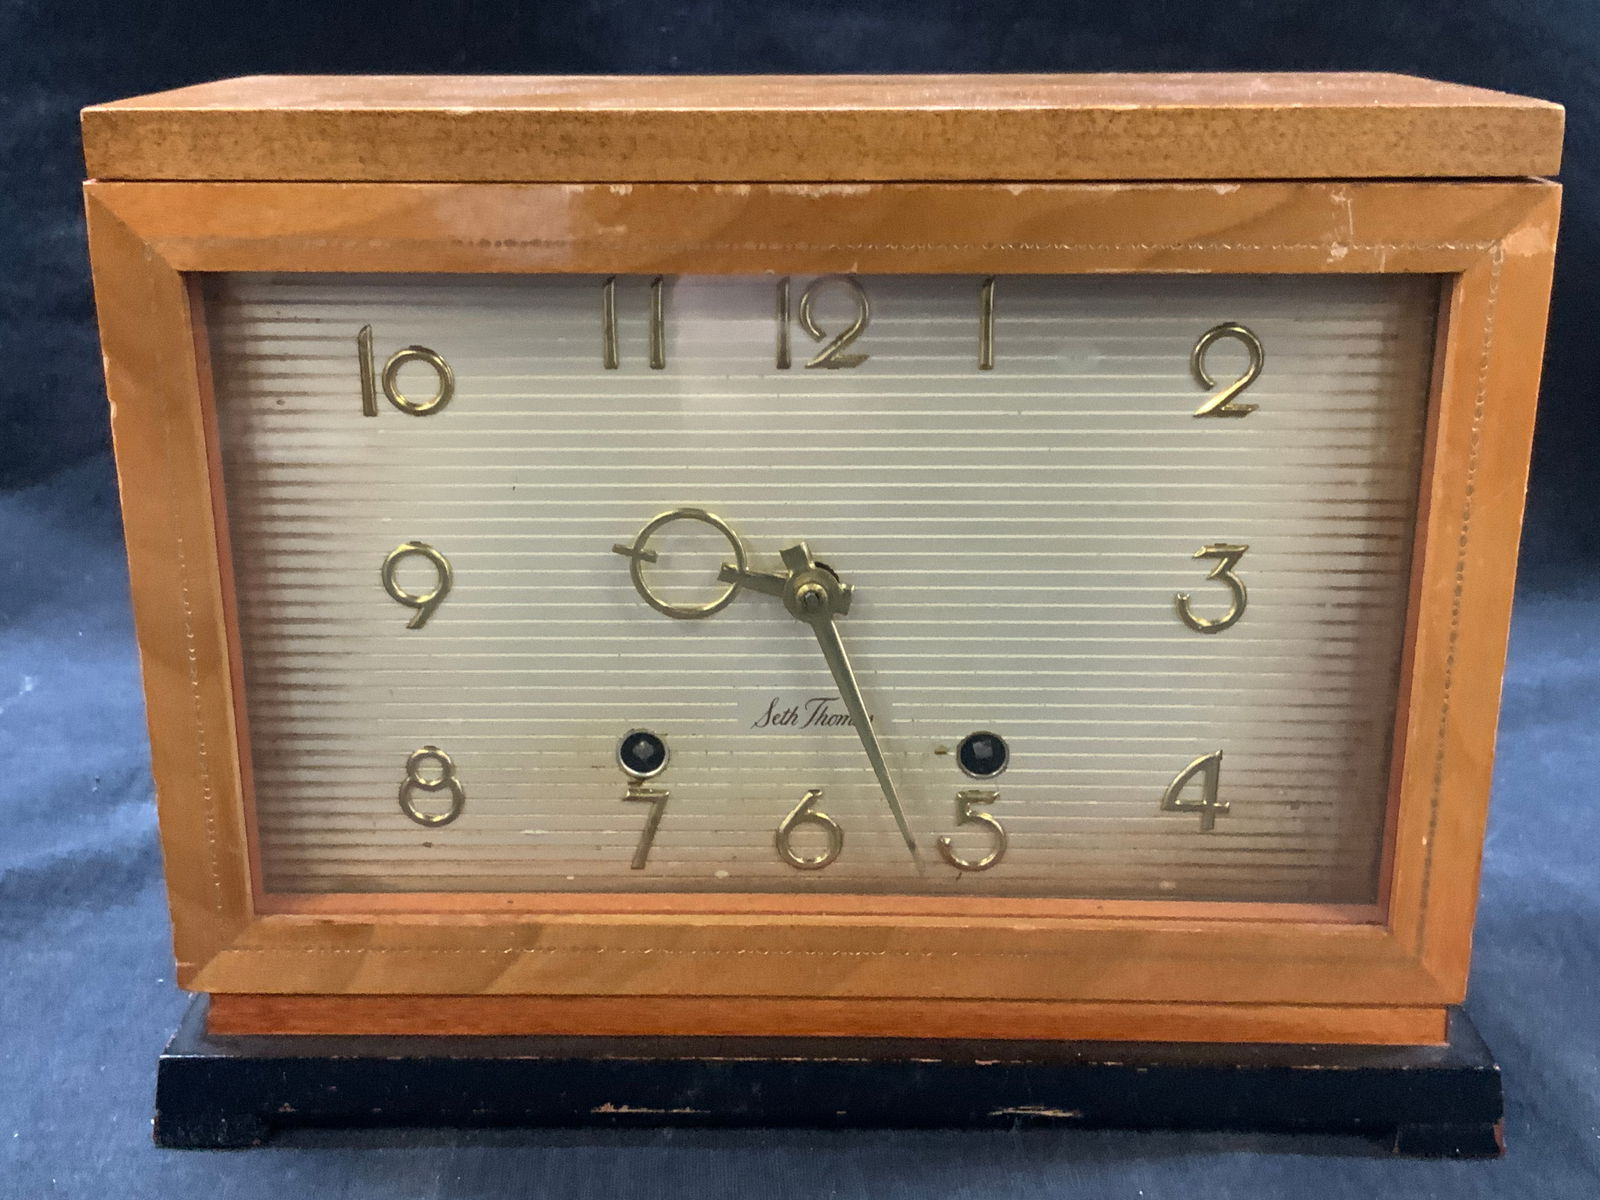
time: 10:26
